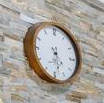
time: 4:28
